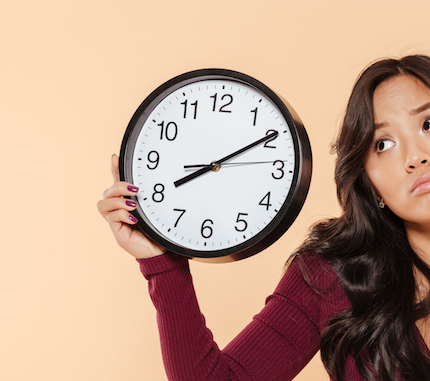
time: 8:09
